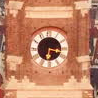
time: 6:17
